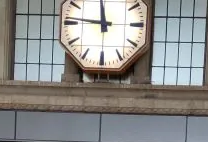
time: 11:46
